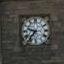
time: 9:37
